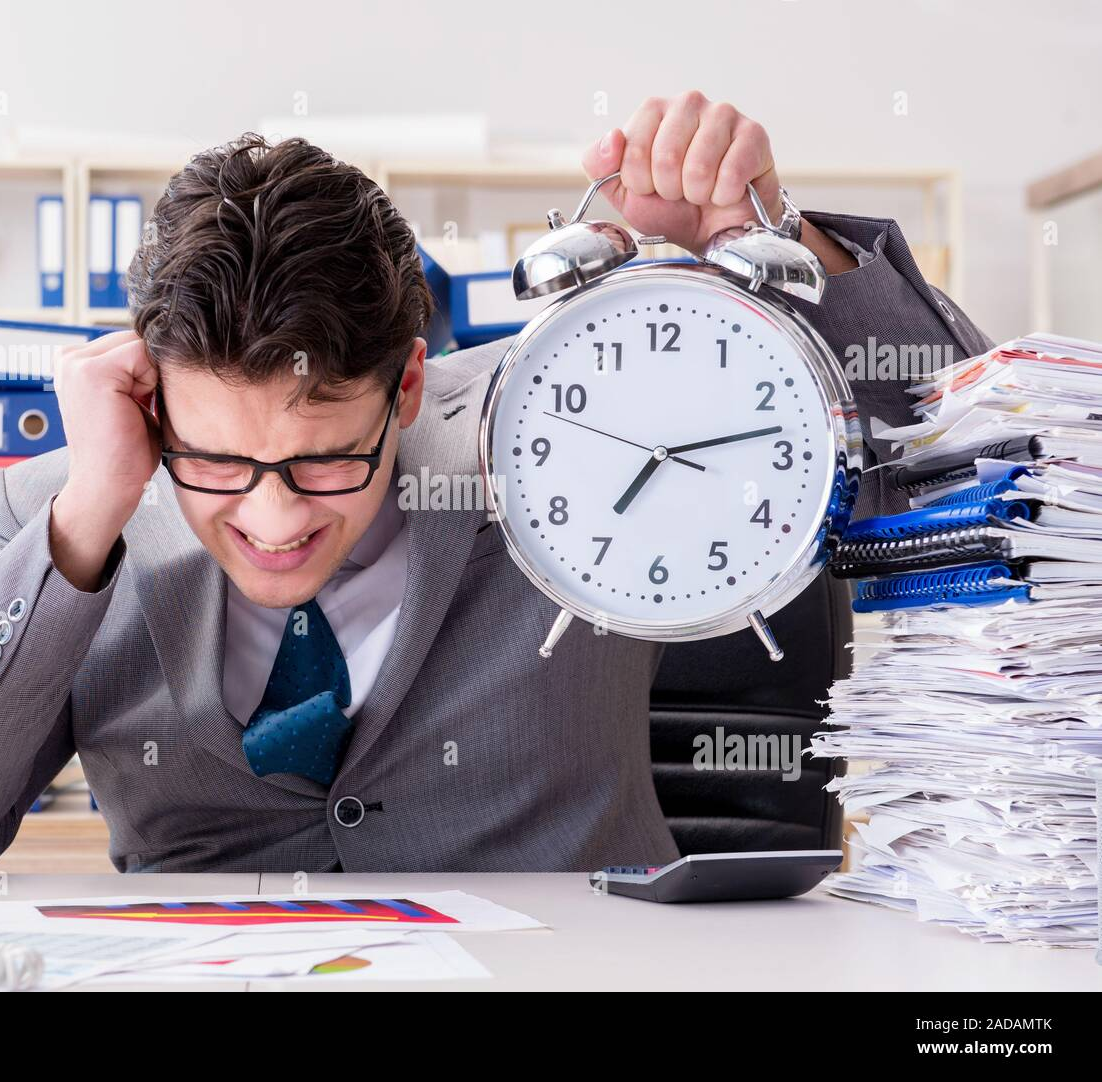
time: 7:13
